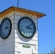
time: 3:08
